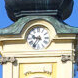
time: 9:35
